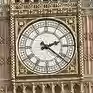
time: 2:21
